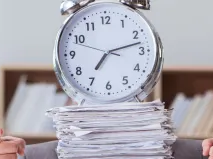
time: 7:12
